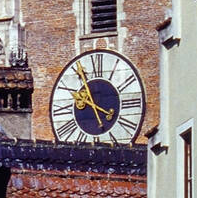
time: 3:55
